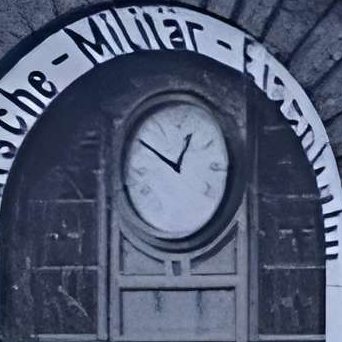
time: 12:50
